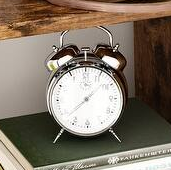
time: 12:07
